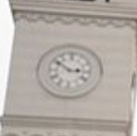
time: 2:51
